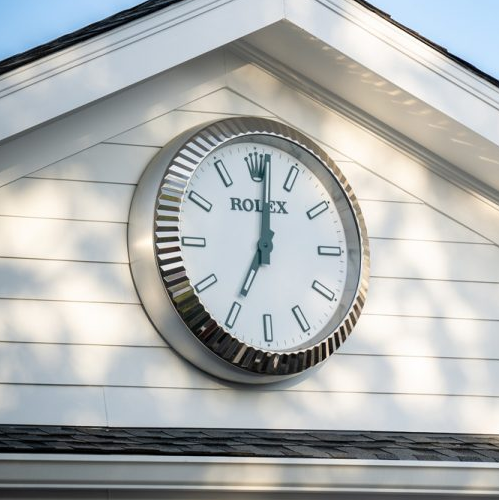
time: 7:01
